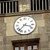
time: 3:37
